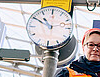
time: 10:50
